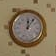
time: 12:06
